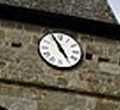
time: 4:55
